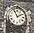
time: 1:56
